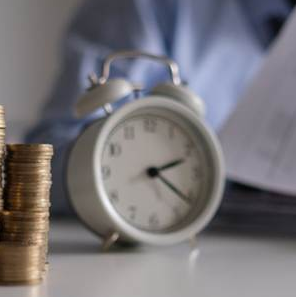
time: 2:21
